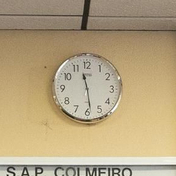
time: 11:28
